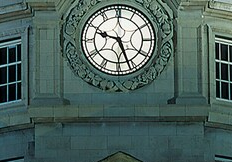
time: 9:26
